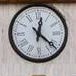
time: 12:21
